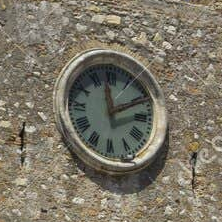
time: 1:58
